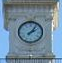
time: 2:06
